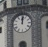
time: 12:01
